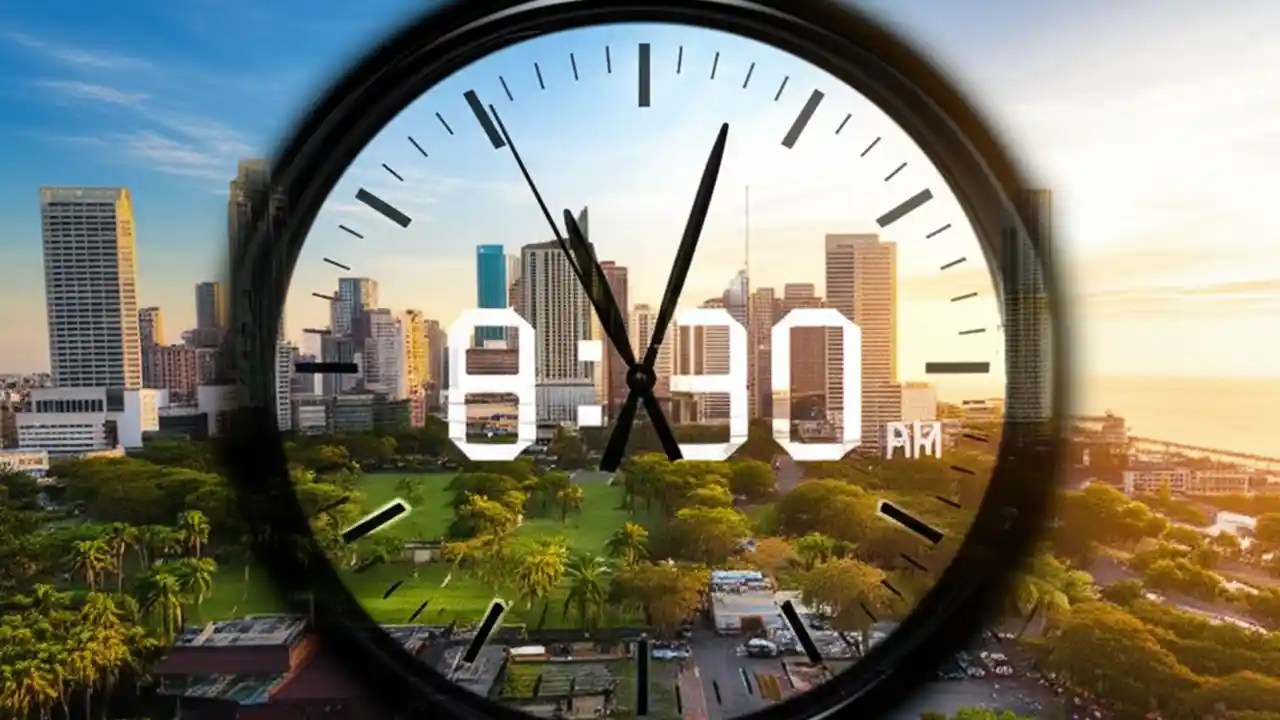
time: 11:02
